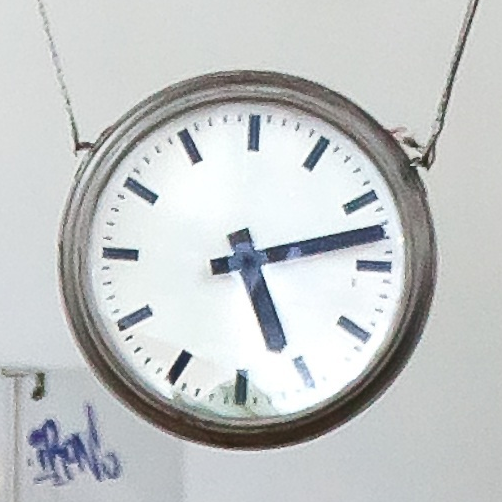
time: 5:12
